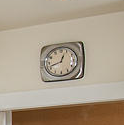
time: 12:42
